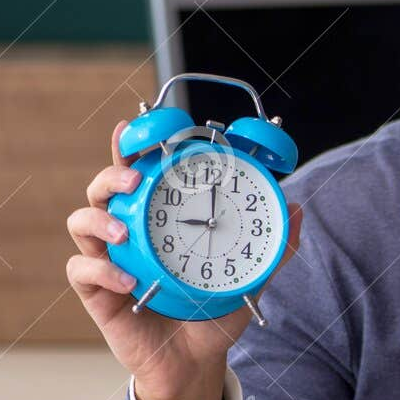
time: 9:00
